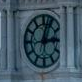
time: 3:02
